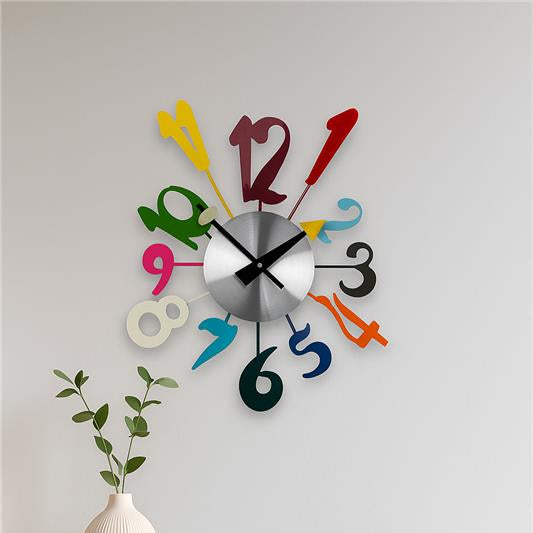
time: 1:51
